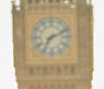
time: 7:11
